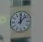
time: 12:07
